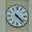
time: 4:22
